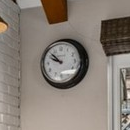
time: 9:52
